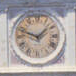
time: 1:48
